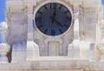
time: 12:22
